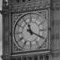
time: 11:19
